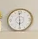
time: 5:59
